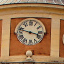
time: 3:47
